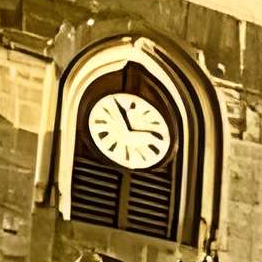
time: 11:13
